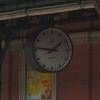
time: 1:46
